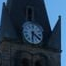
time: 6:20
